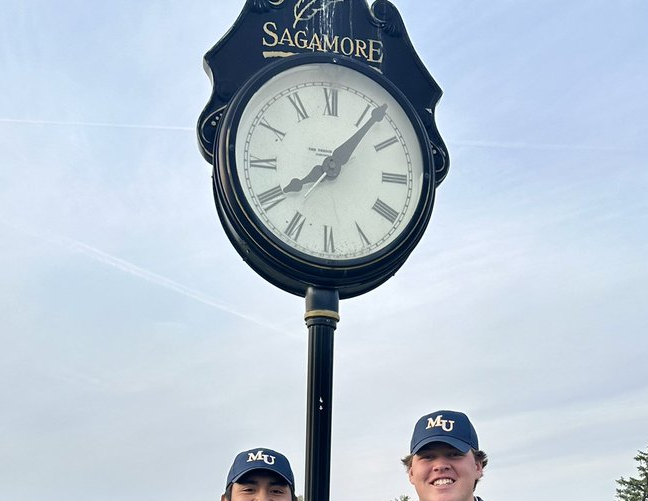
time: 8:06
